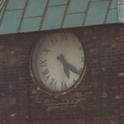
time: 5:20
